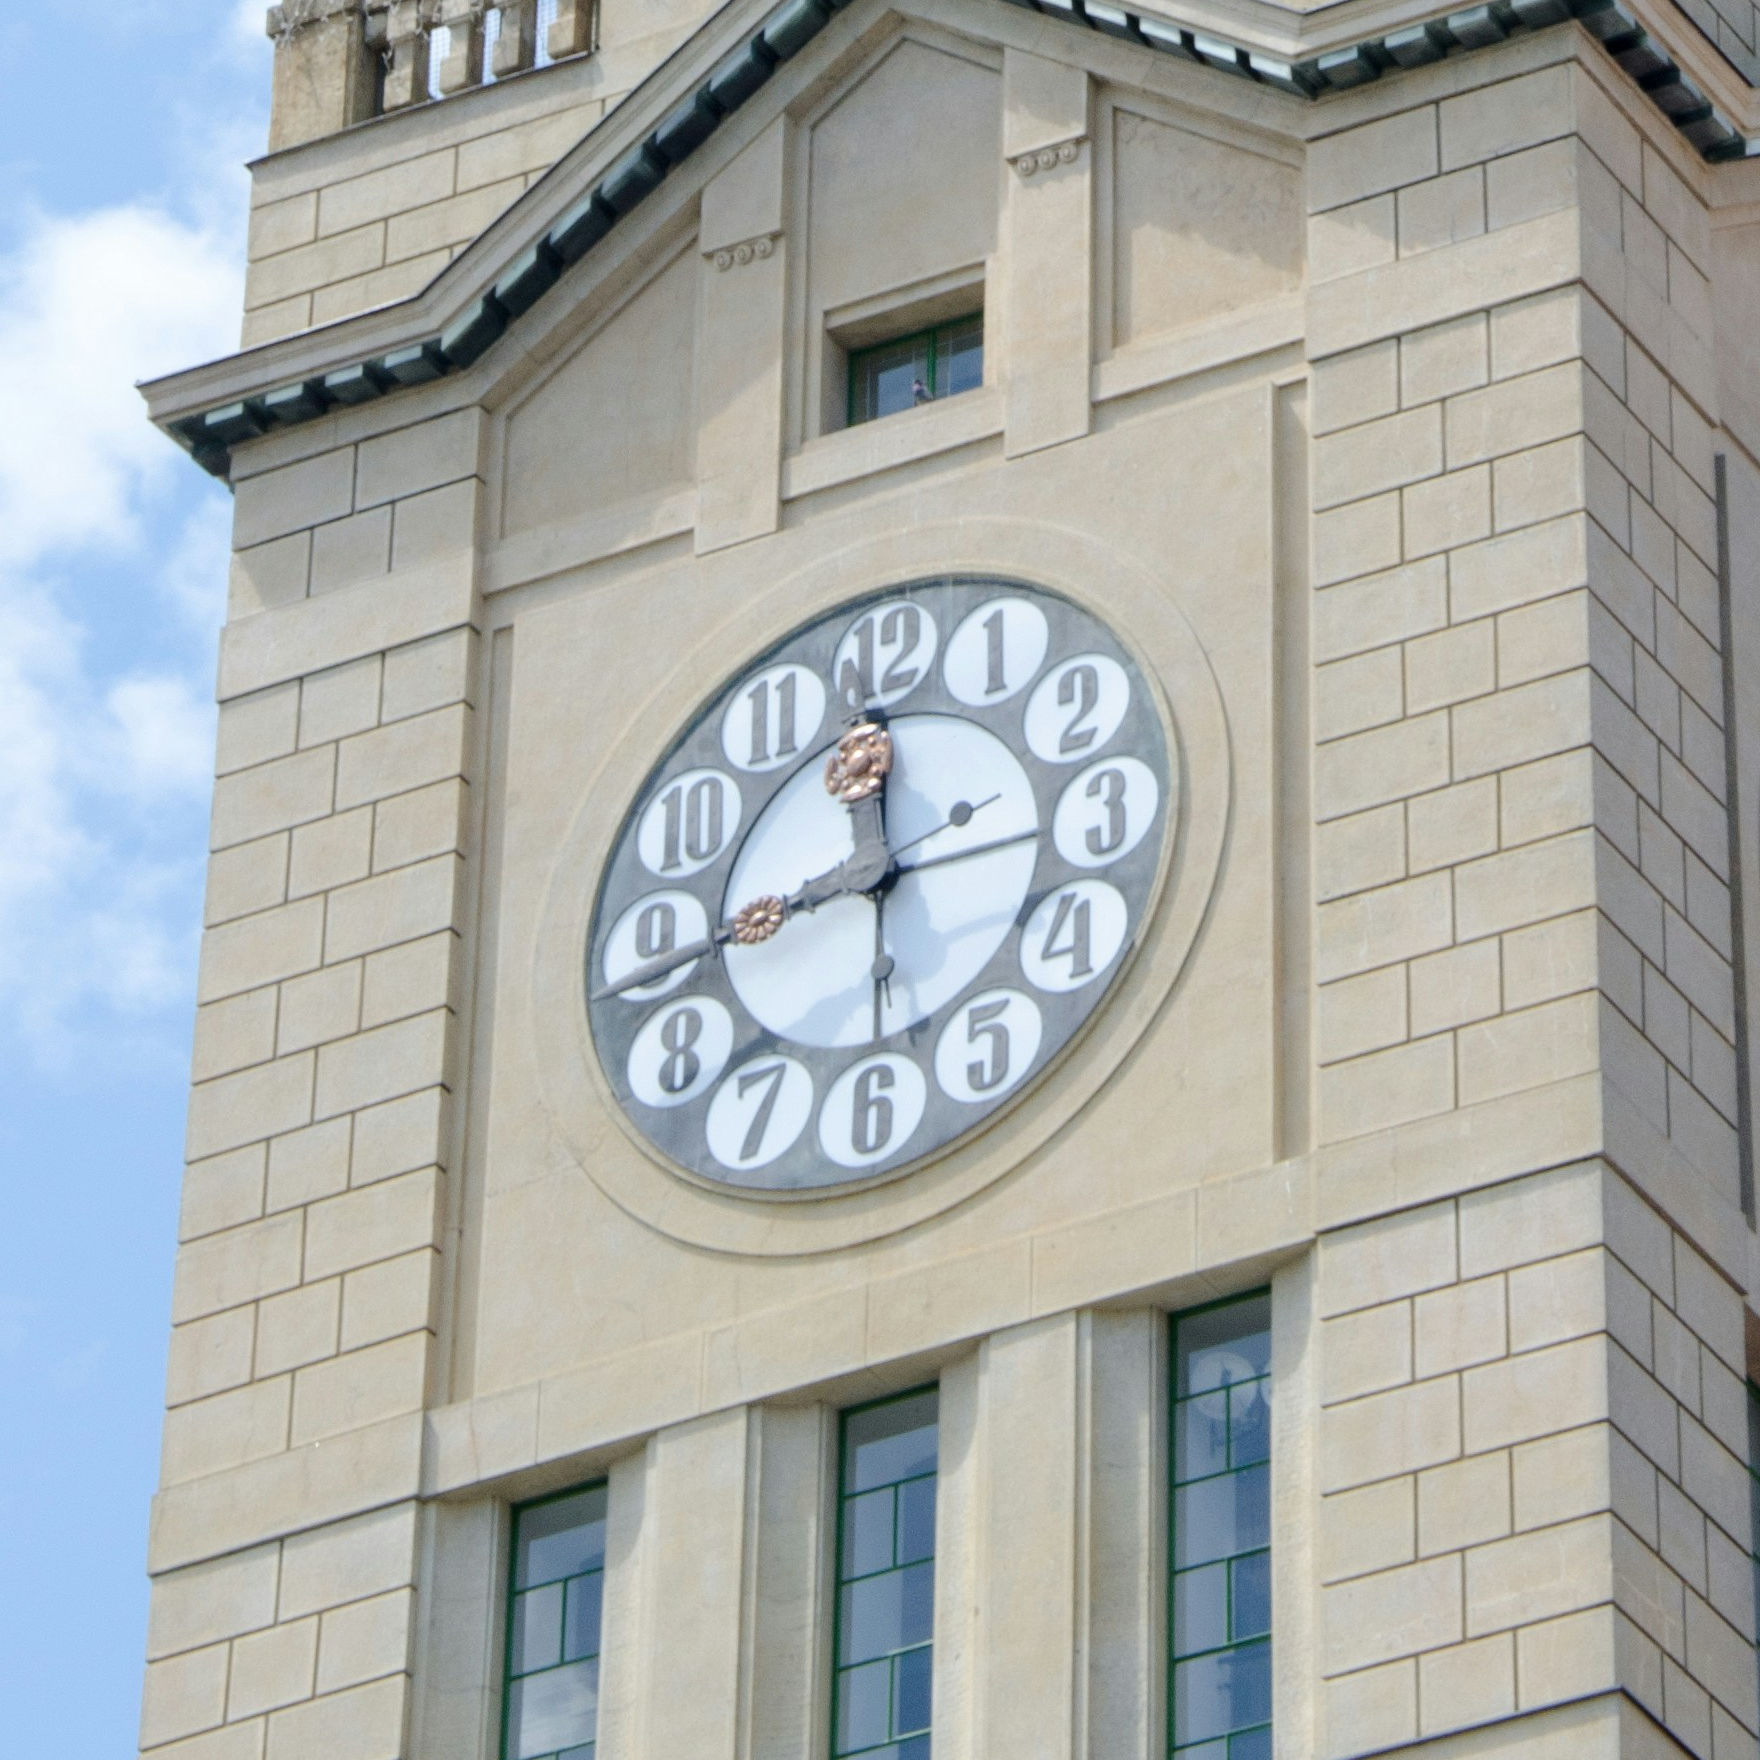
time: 11:44
